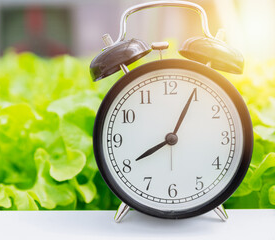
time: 8:04
